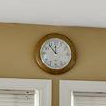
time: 11:53
